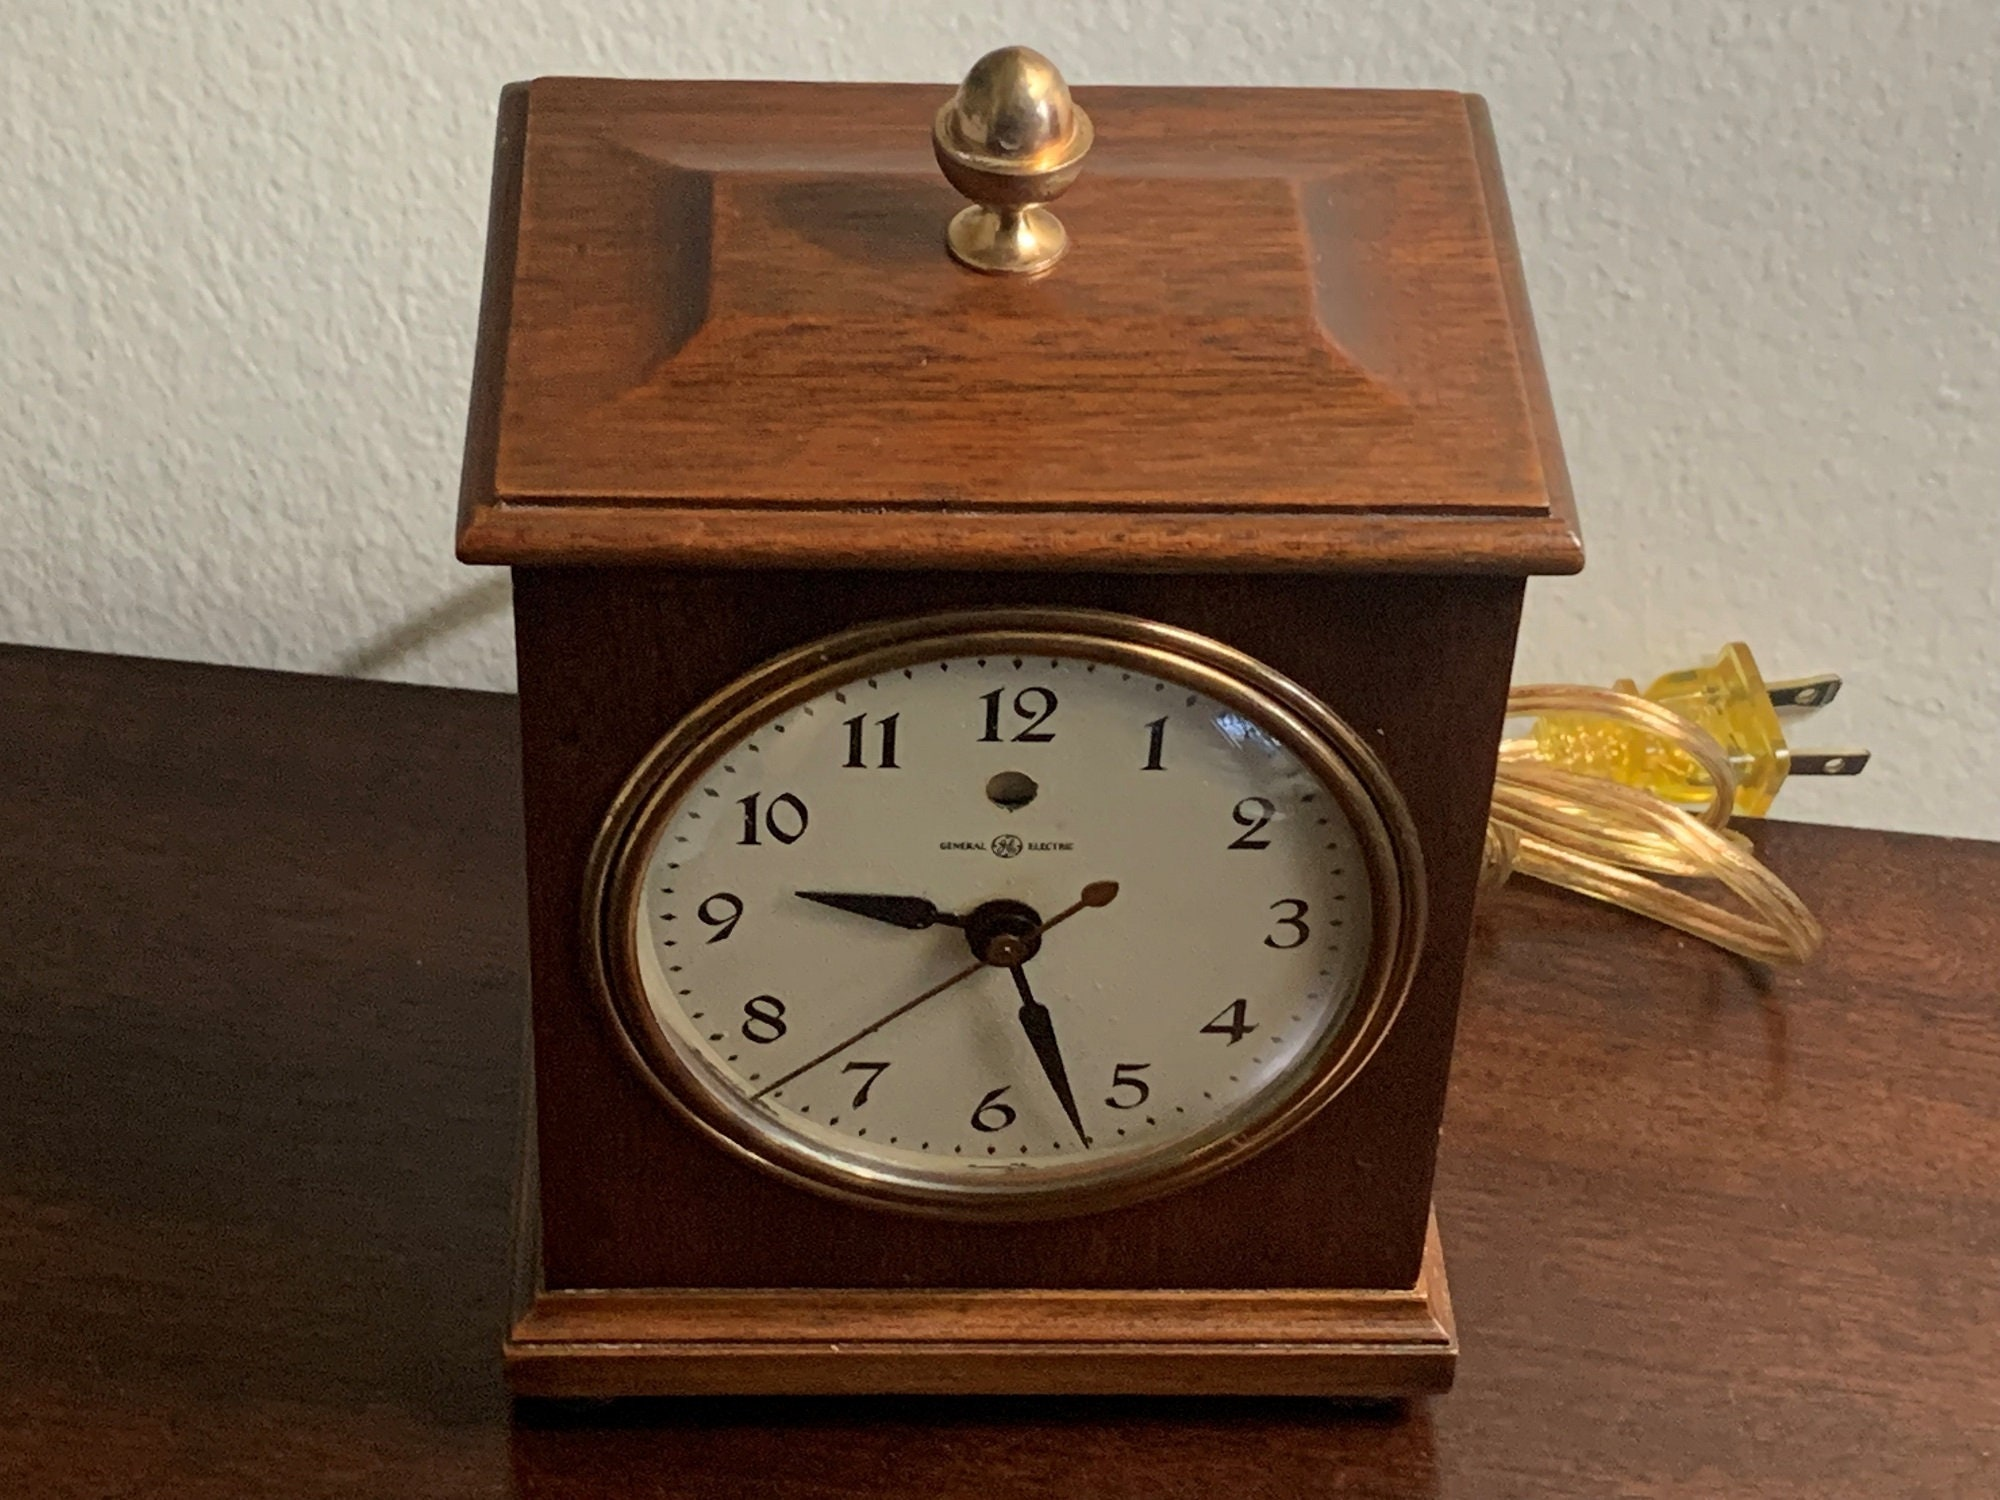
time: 9:26
